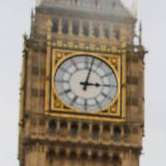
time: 3:02
